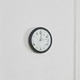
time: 12:13
